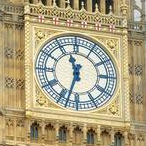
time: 11:32
